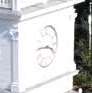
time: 3:45
